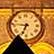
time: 6:46
